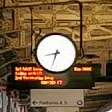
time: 8:33
